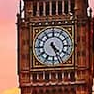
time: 4:26
